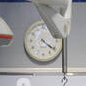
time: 4:20
